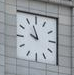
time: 9:57
